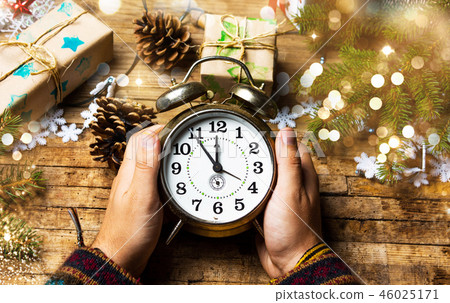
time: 11:53
